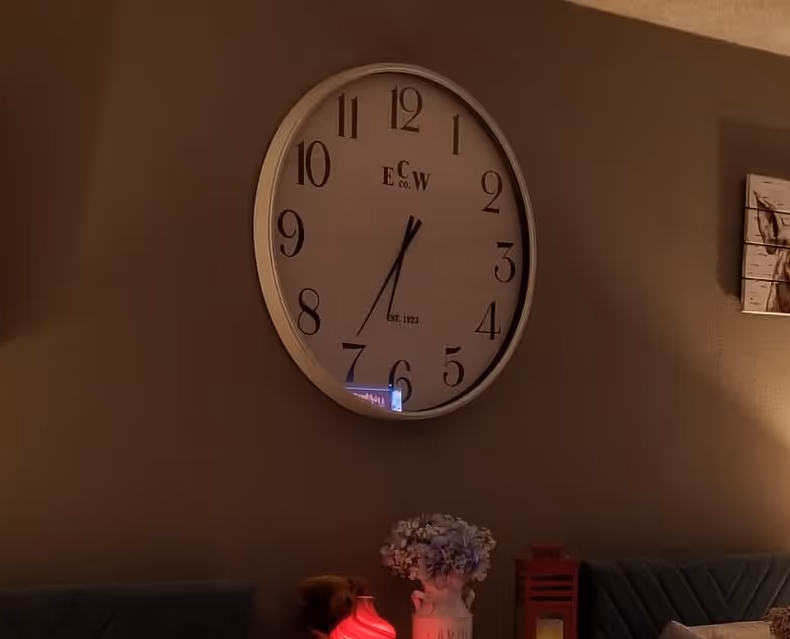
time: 6:35
